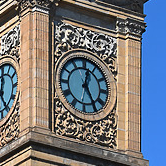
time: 12:24
